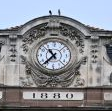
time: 10:37
